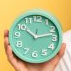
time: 10:12
